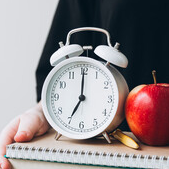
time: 7:00
